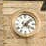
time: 4:07
